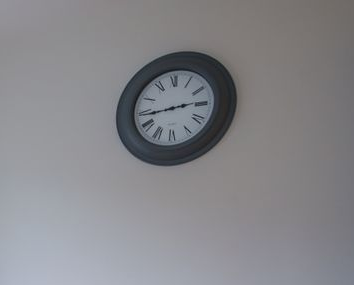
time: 2:43
